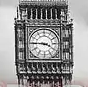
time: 3:45
